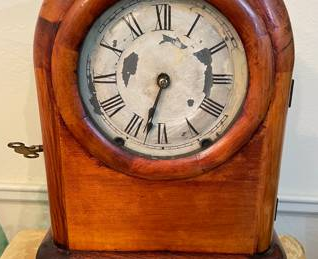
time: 6:32
